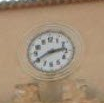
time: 2:40
